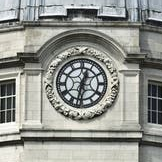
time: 12:32
